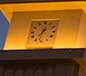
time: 7:32
